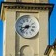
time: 8:38
